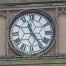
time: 11:23
